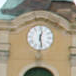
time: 12:28
